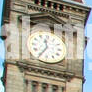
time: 11:35
